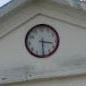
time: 3:30
